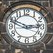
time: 2:49
